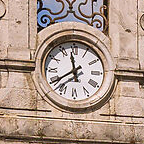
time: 11:39
